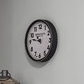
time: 10:46
